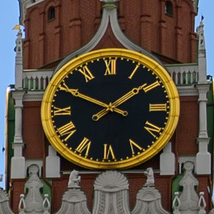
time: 1:49
